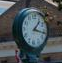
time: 1:16
